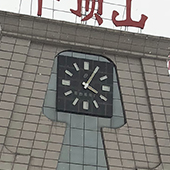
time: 4:05
